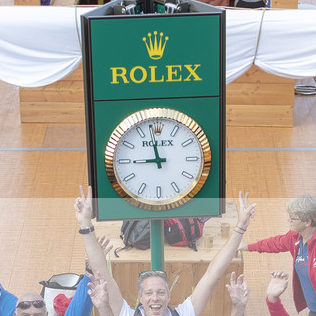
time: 8:58
